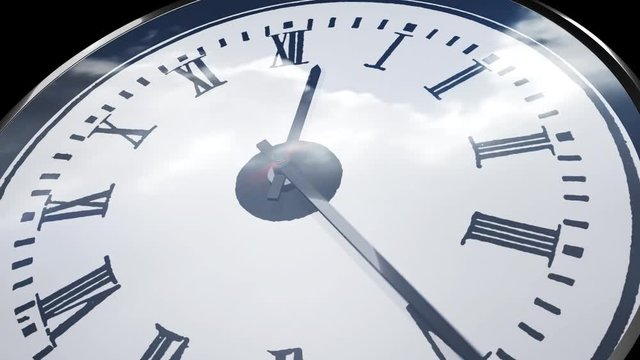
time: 12:24
